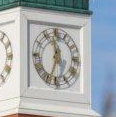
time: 11:32
